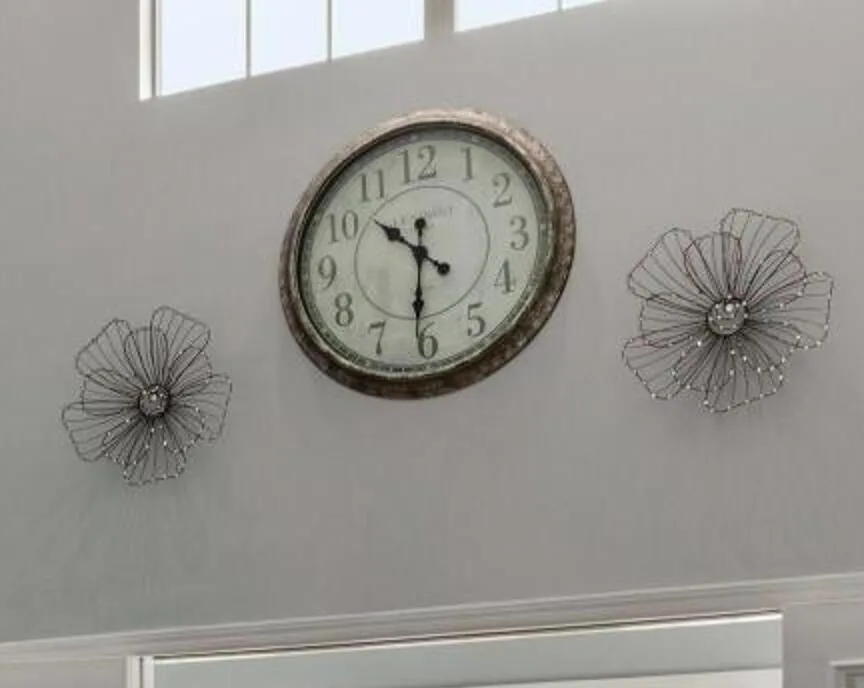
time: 10:31
